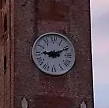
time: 9:10
